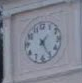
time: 1:25
